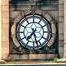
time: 7:27
